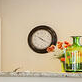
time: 4:19
